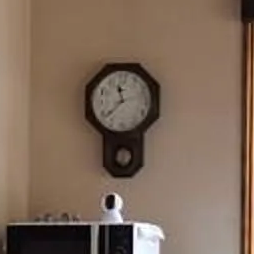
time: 11:37
